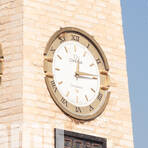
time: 12:14
